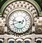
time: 9:42
